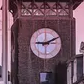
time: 9:10
